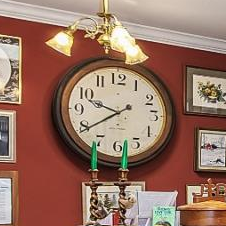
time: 9:39
